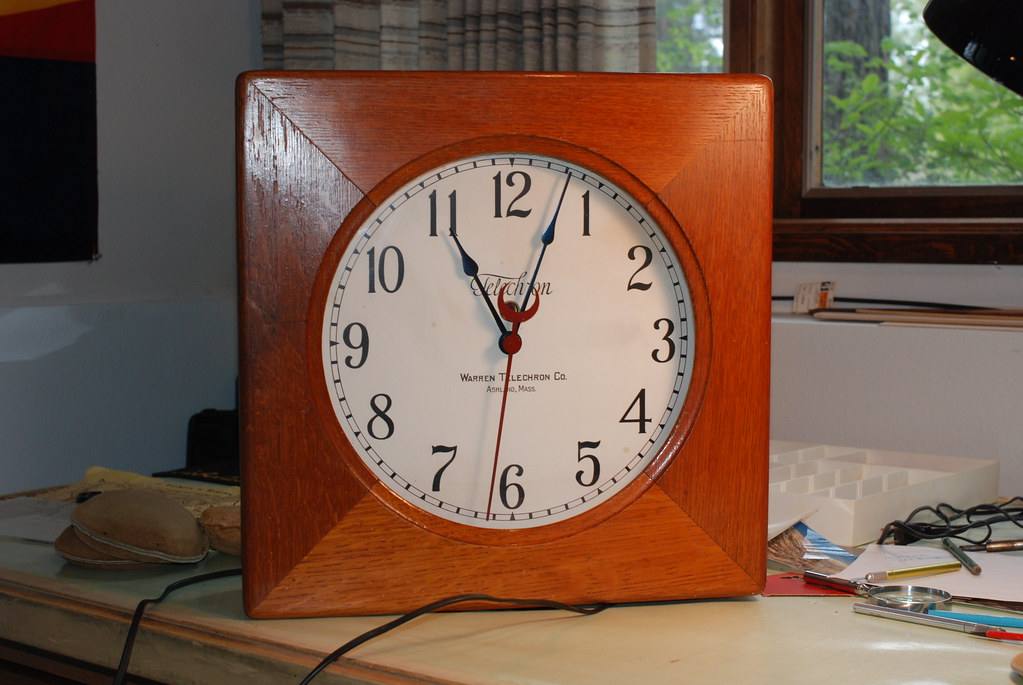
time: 11:03
